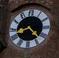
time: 8:22
